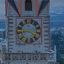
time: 3:43
